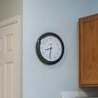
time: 8:31
